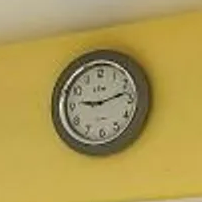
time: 9:12
